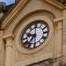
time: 9:36
